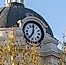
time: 7:00
